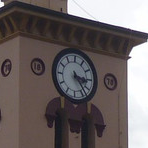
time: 3:23
